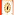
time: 6:06
